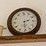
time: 2:29
